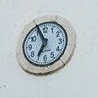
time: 6:56
